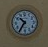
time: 10:35
